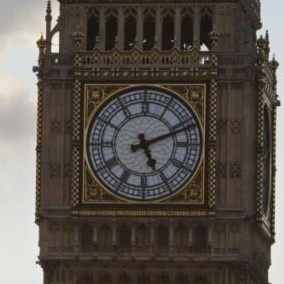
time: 5:11
